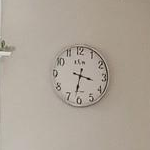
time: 3:32
